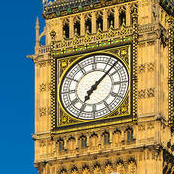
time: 7:07
